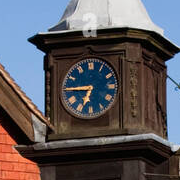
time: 6:45
